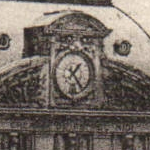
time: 1:24
